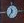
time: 11:36
